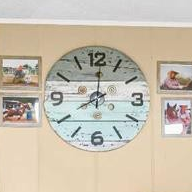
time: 8:00
